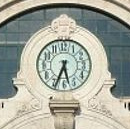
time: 5:33
